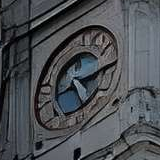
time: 5:14
